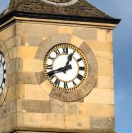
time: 12:41
